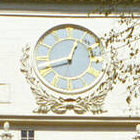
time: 12:42
